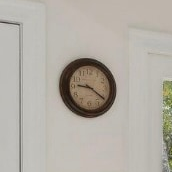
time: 9:20
